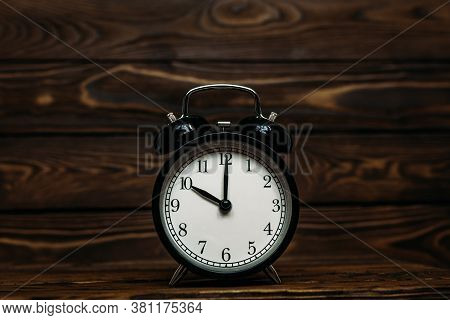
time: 10:00
